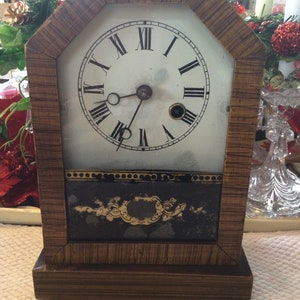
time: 8:33
